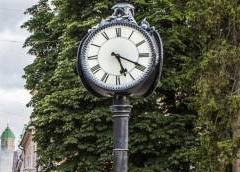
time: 5:19
